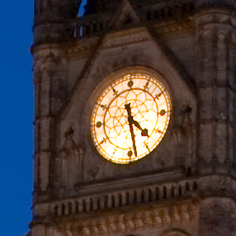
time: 4:28
